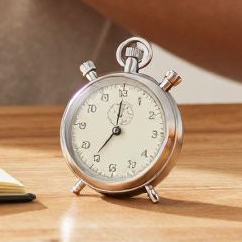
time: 7:00
